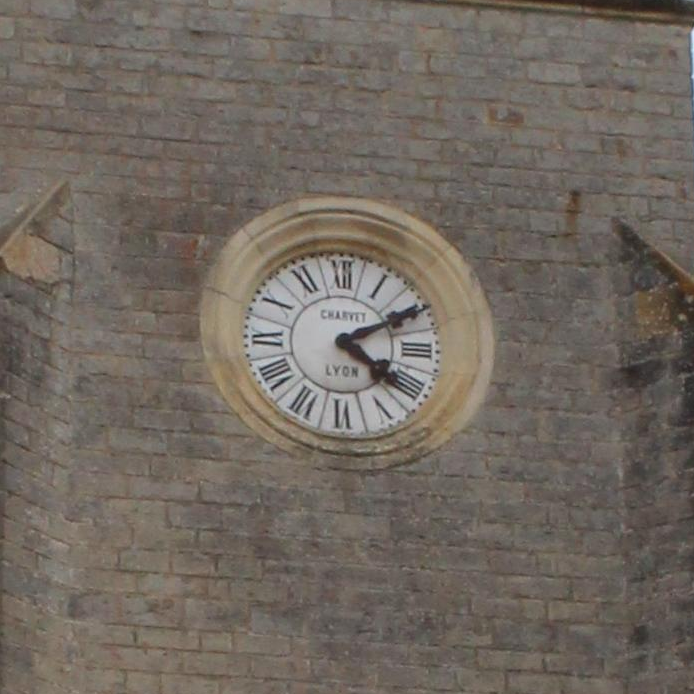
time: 4:10
